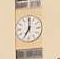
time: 7:00
